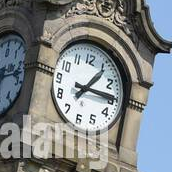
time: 1:14
